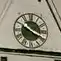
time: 3:50
